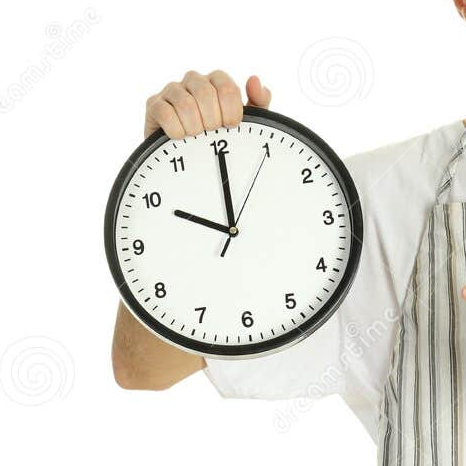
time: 10:00
